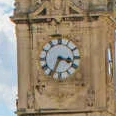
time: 3:34
